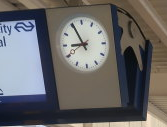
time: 8:55
